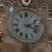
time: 2:18
